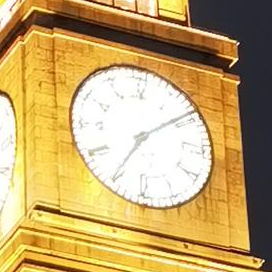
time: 7:08
